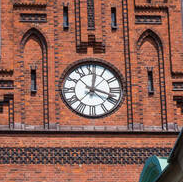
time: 12:18
